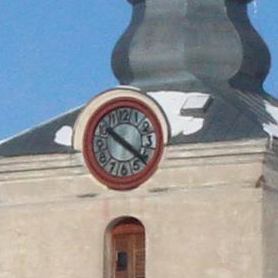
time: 10:21
